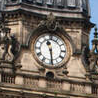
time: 11:28
